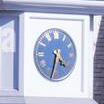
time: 4:32
